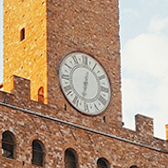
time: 12:32
